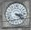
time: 3:22
